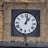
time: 1:01
